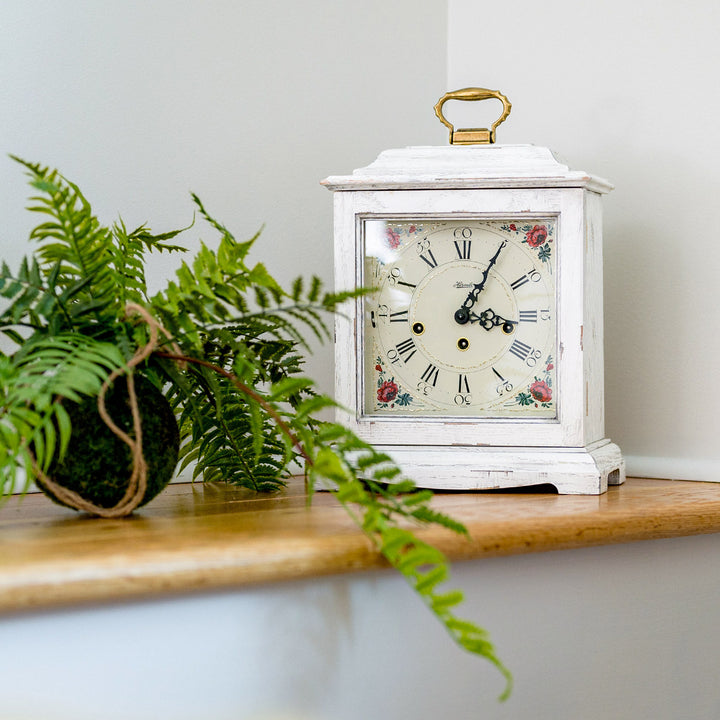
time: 3:04
